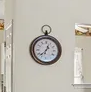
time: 12:37
